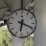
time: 6:18
